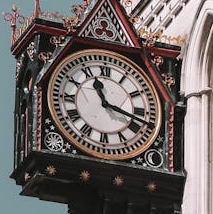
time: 11:17
